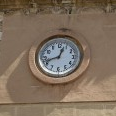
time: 12:42
